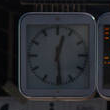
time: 12:28
